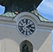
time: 2:21
